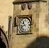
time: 10:42
